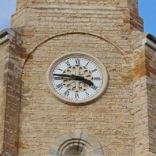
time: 3:46
